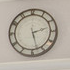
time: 2:27
